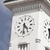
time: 4:31
